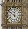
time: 11:51
